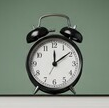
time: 12:09
